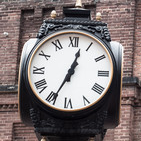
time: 12:34
